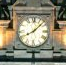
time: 8:07
